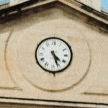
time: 4:26
